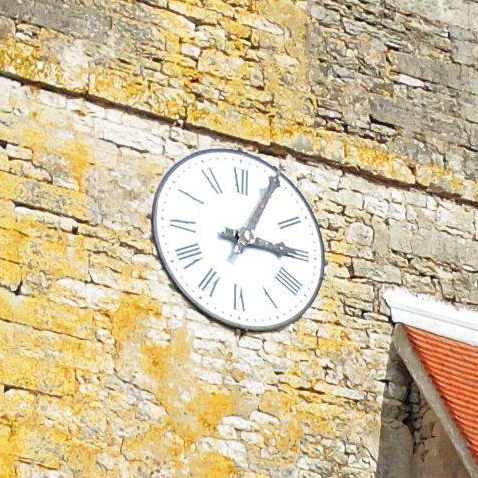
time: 3:04
